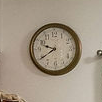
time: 9:39
